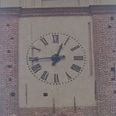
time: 12:44
